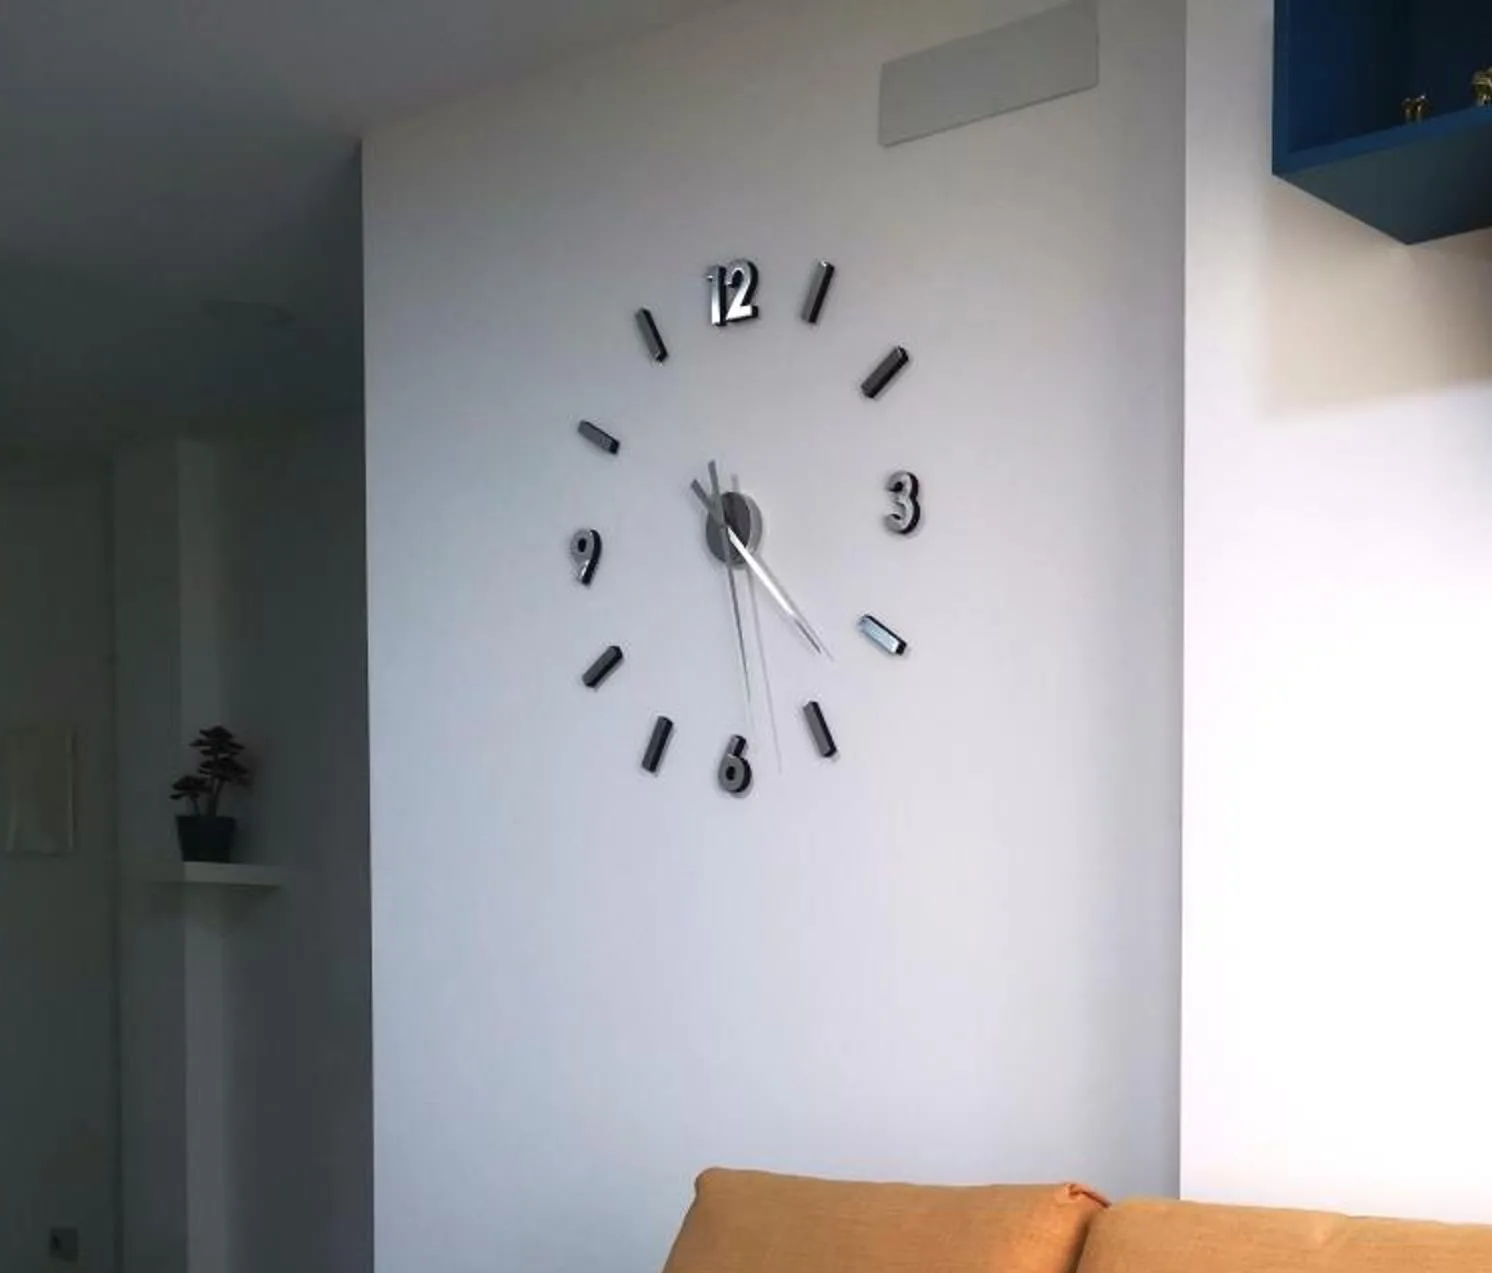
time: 4:28
